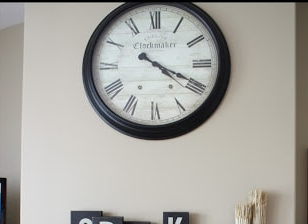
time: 4:19
